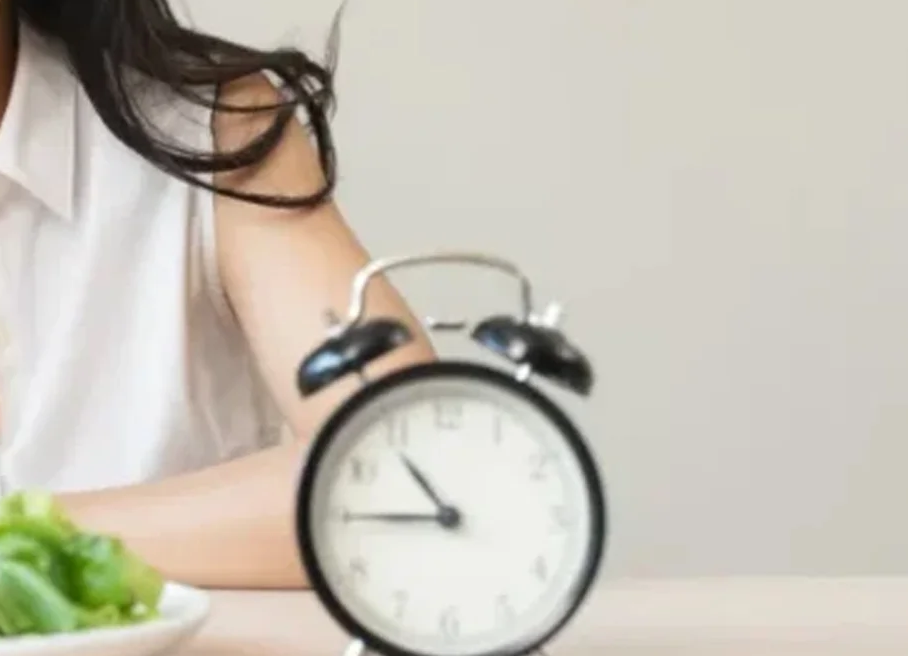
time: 10:45
